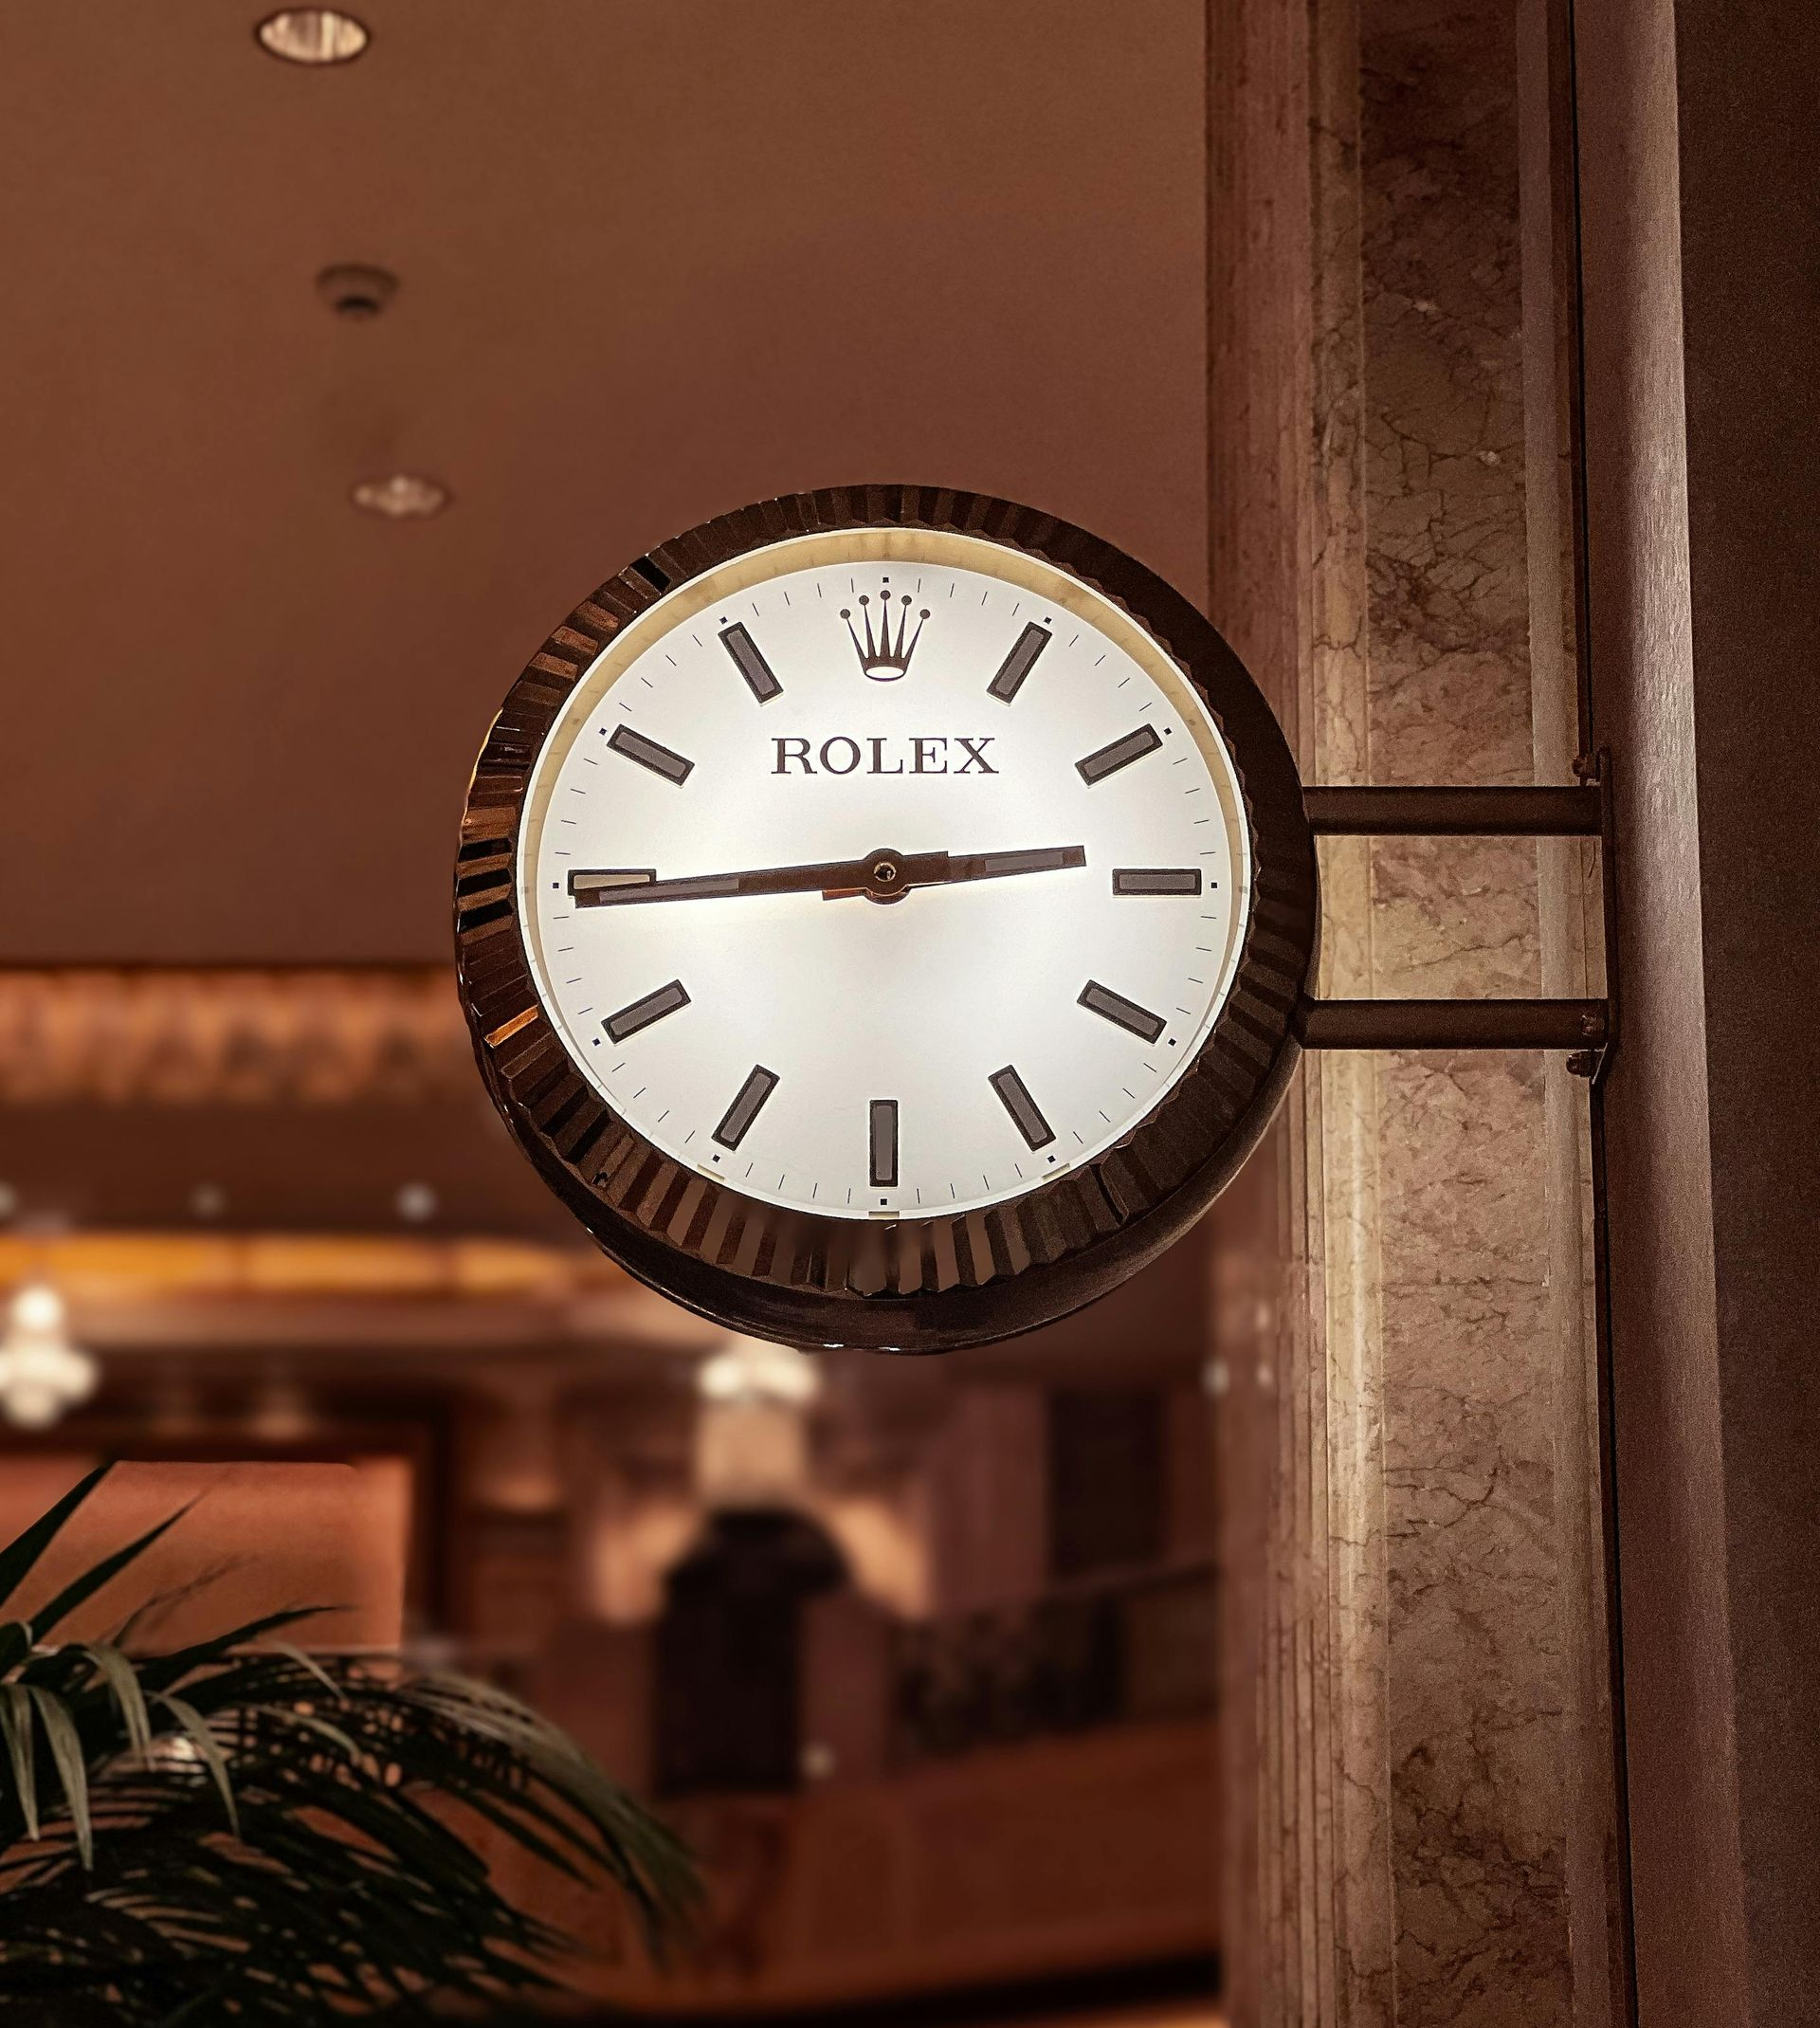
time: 2:44
